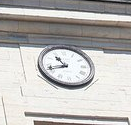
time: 10:42
